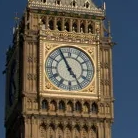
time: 4:55
